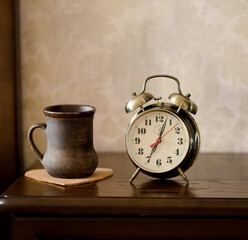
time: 7:03
